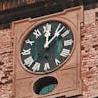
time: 12:07
